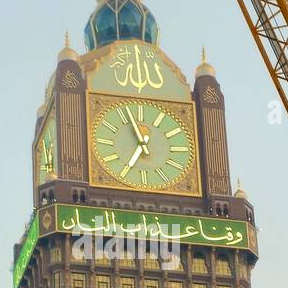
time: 6:56
